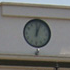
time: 12:03
